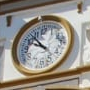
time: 9:53
